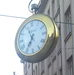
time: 6:56
